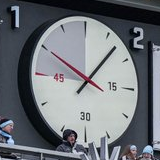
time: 10:07
